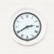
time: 2:39
